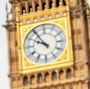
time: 9:54
